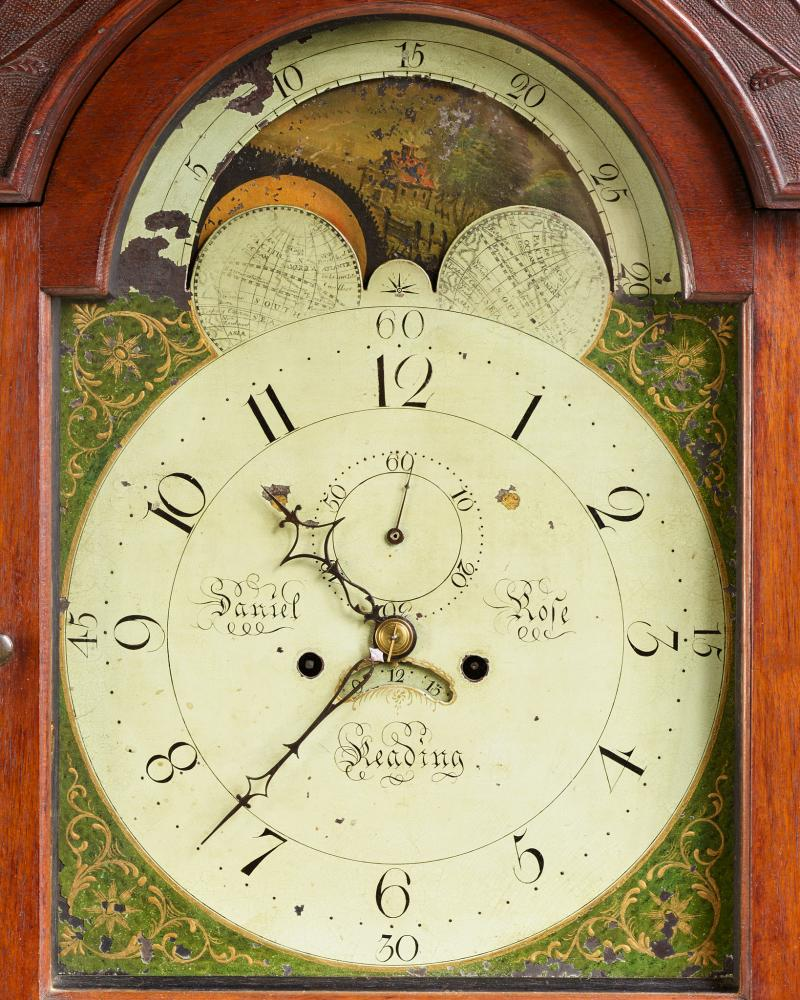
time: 10:36
